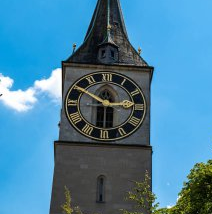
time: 2:50
